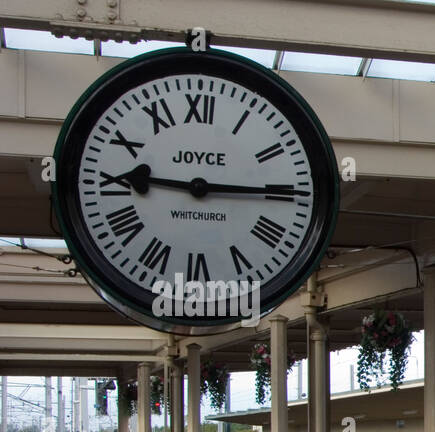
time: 9:14
